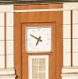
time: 6:50
